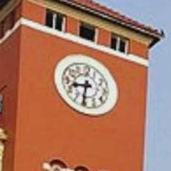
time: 8:31
